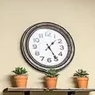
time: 1:24
